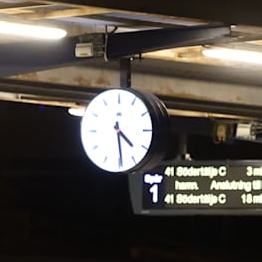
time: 4:29
